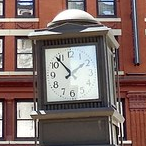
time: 1:53
